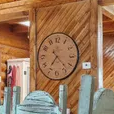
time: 7:22
